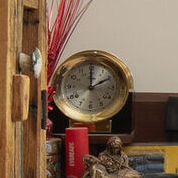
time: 1:59
